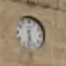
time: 5:31
